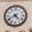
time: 4:41
